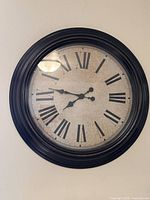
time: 7:46
